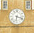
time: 6:18
